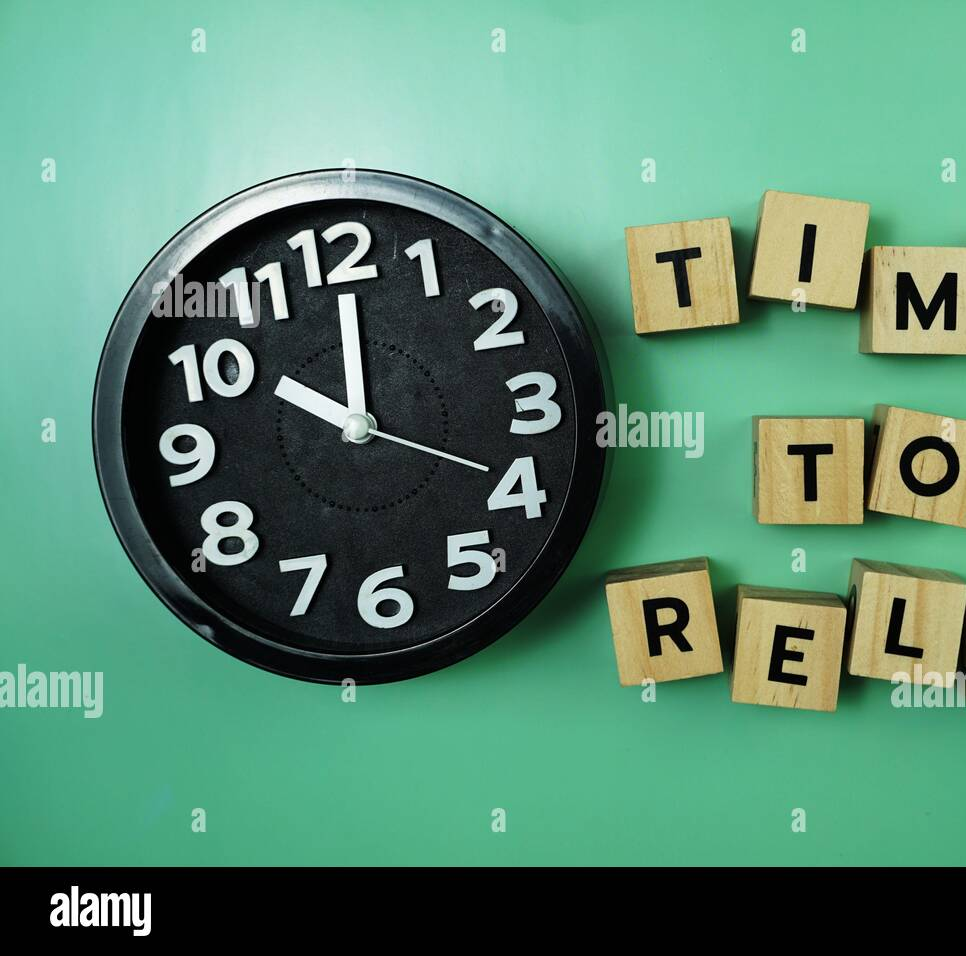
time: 10:00
